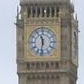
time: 11:31
